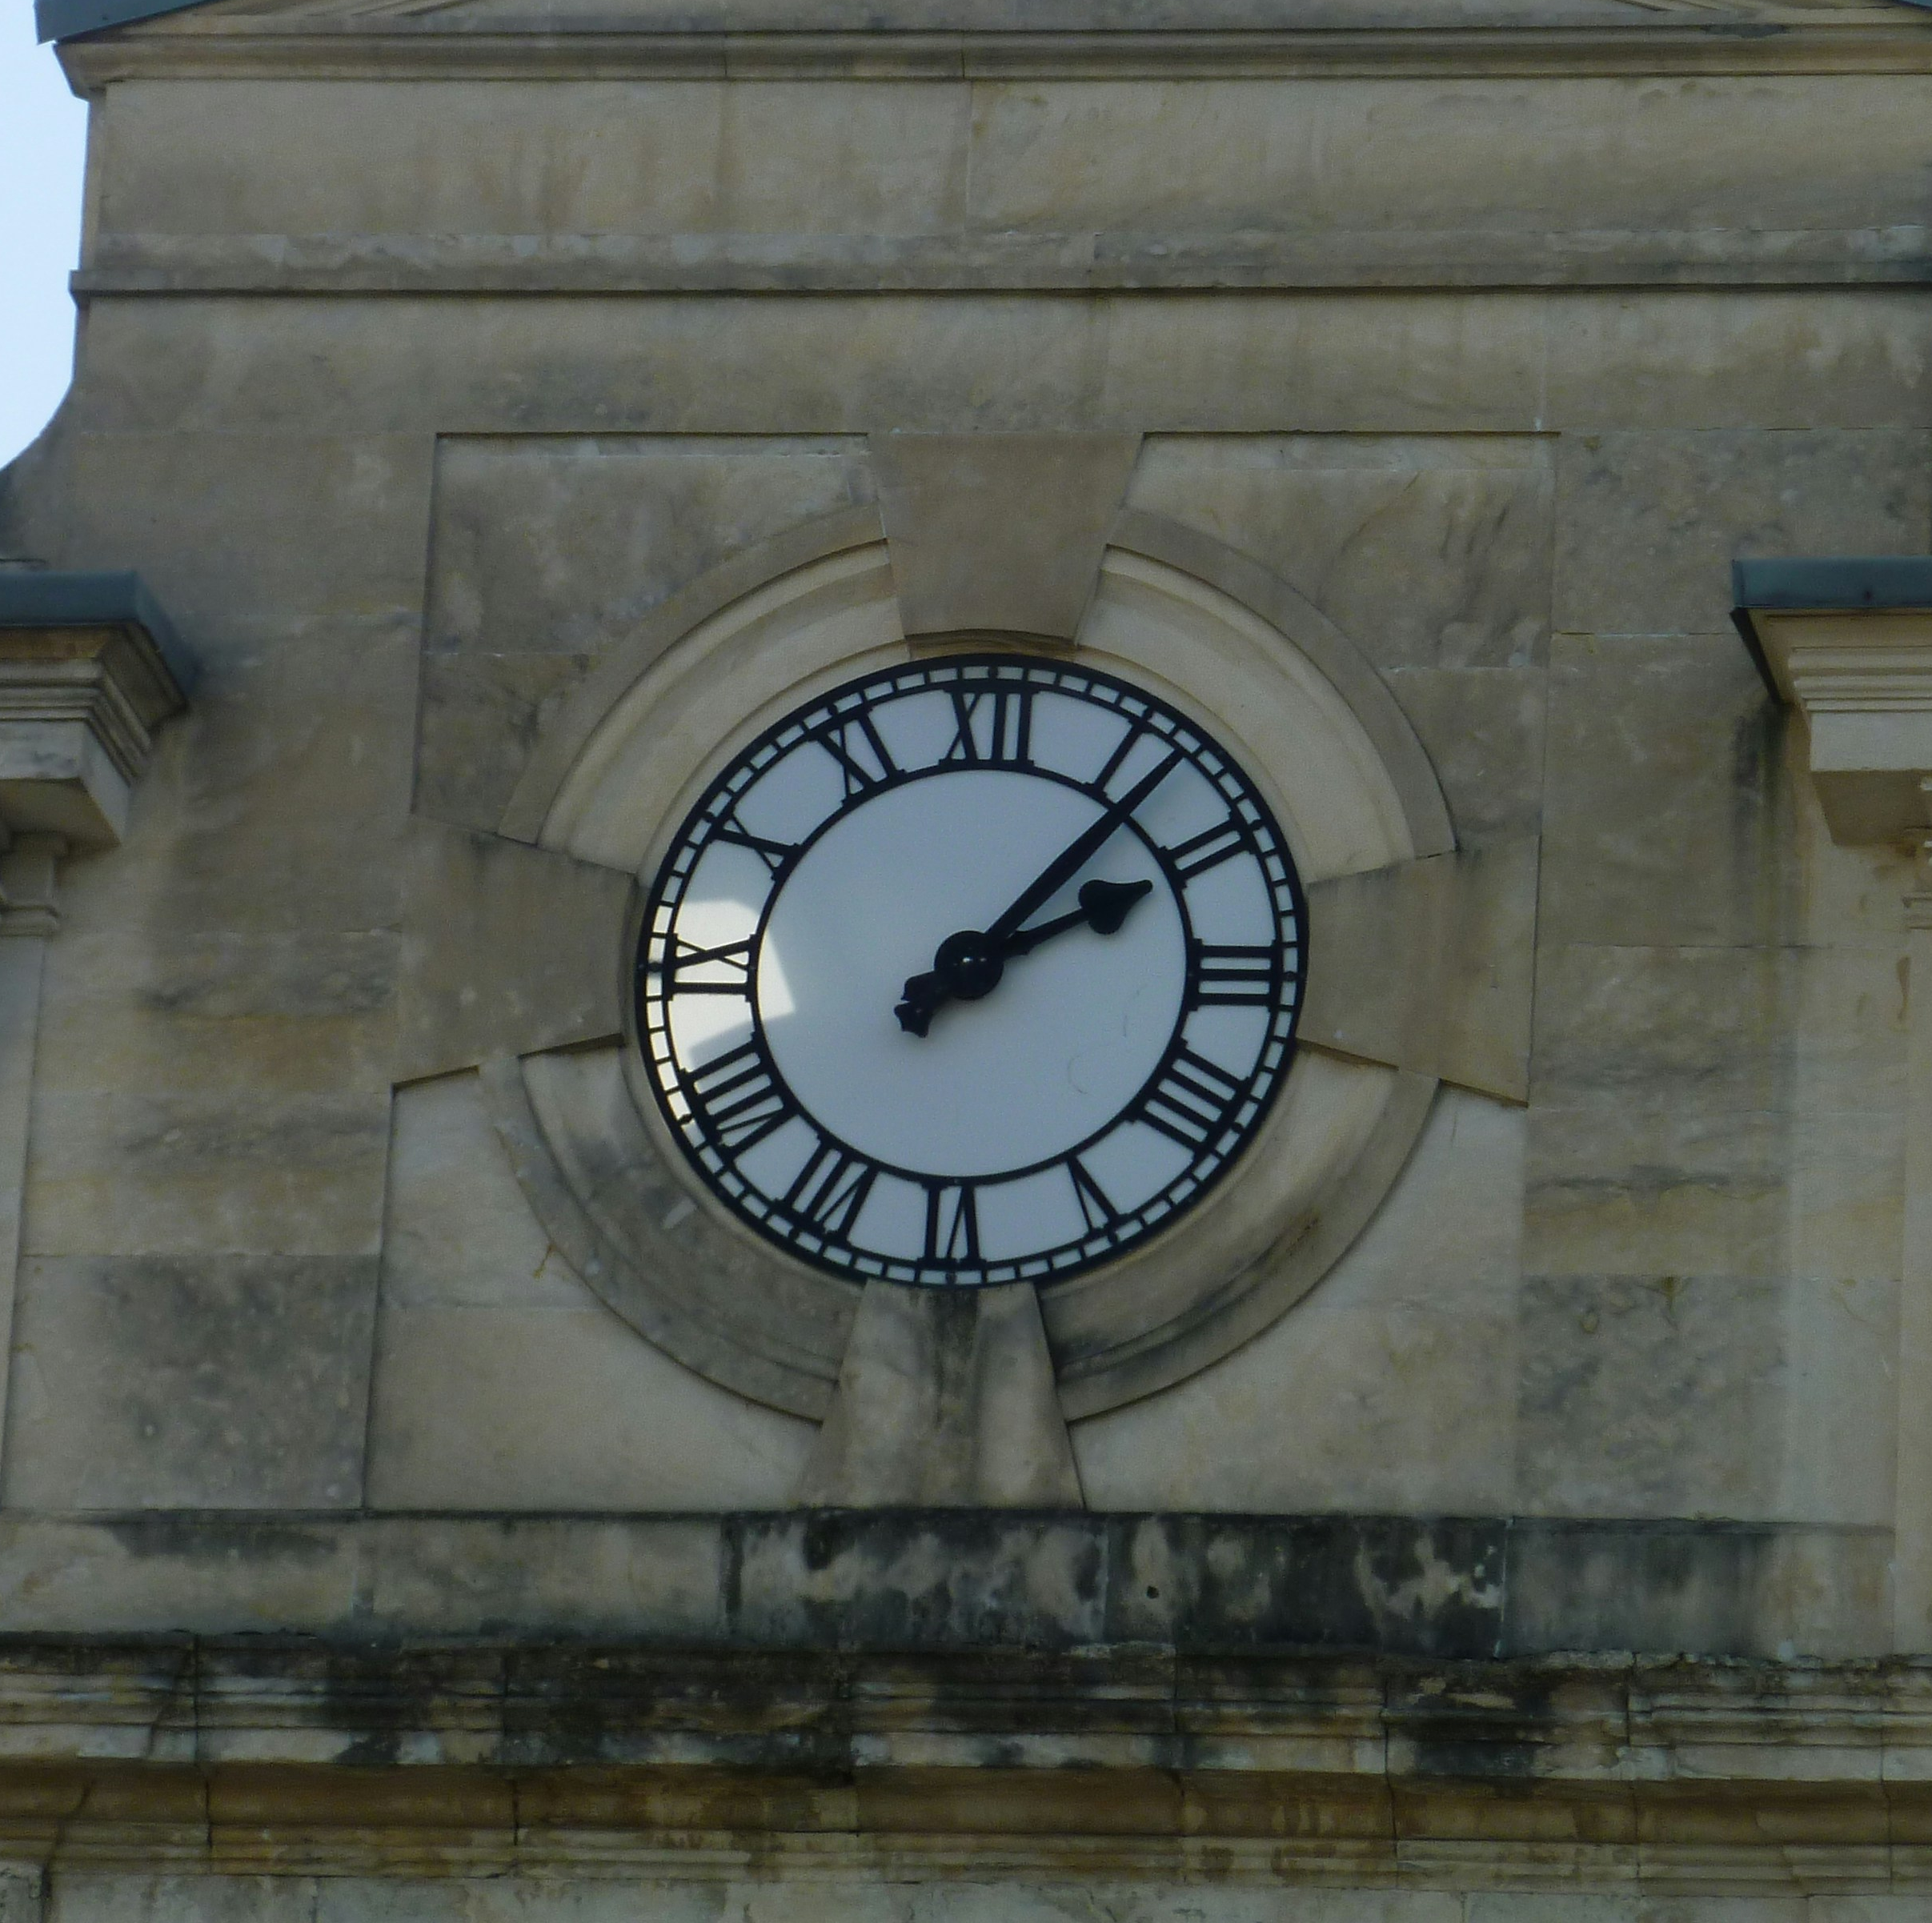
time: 2:06
